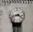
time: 3:42
